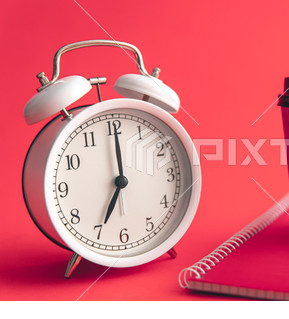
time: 7:00
